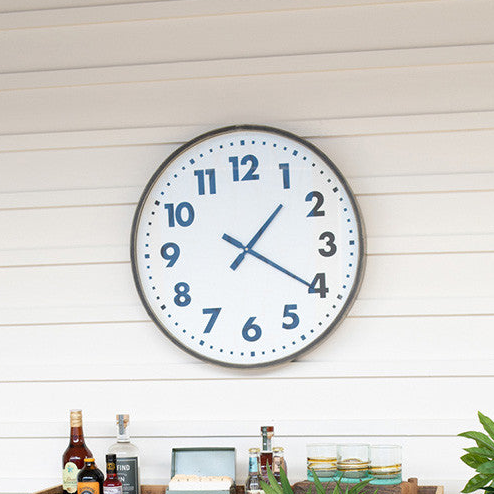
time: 1:20
